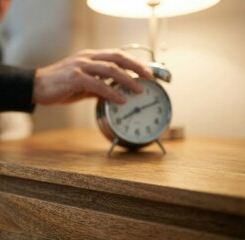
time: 8:11
